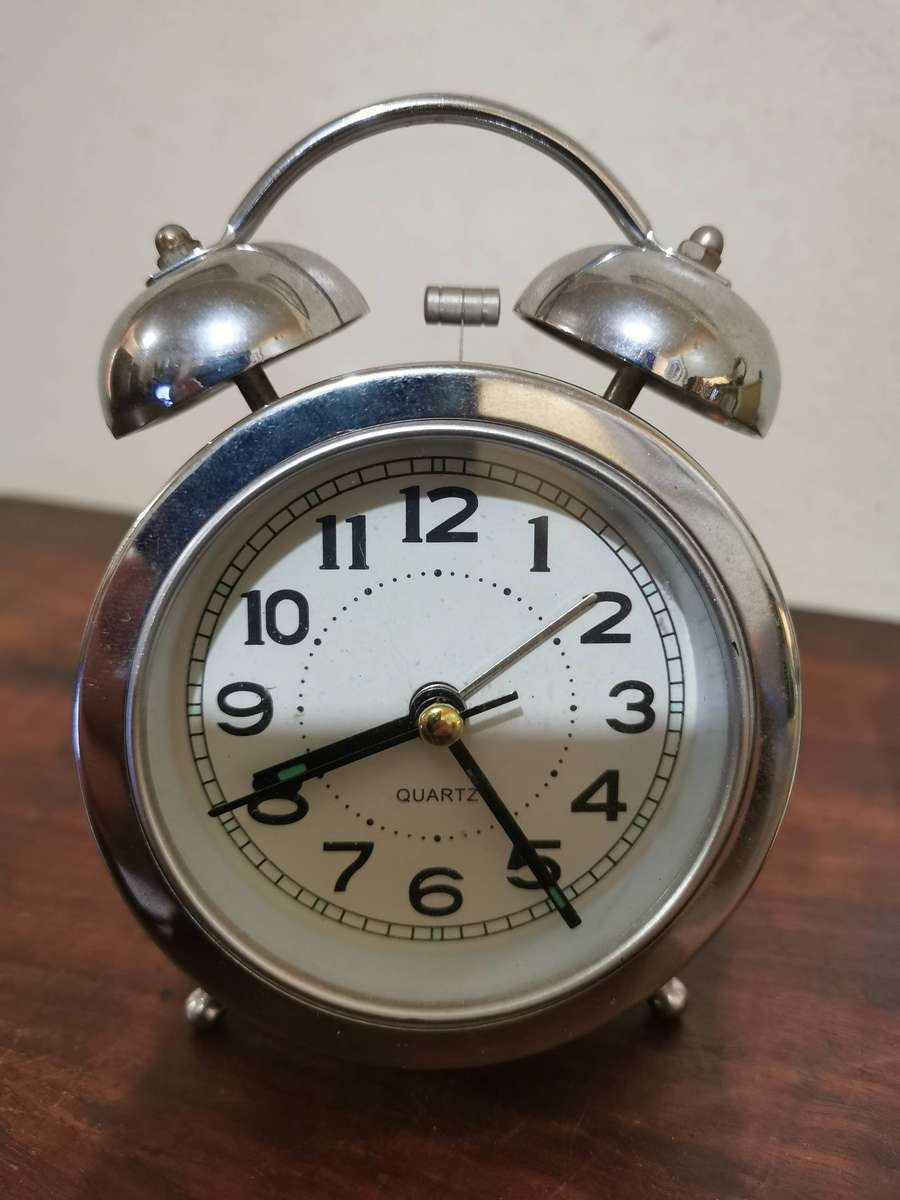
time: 8:24
